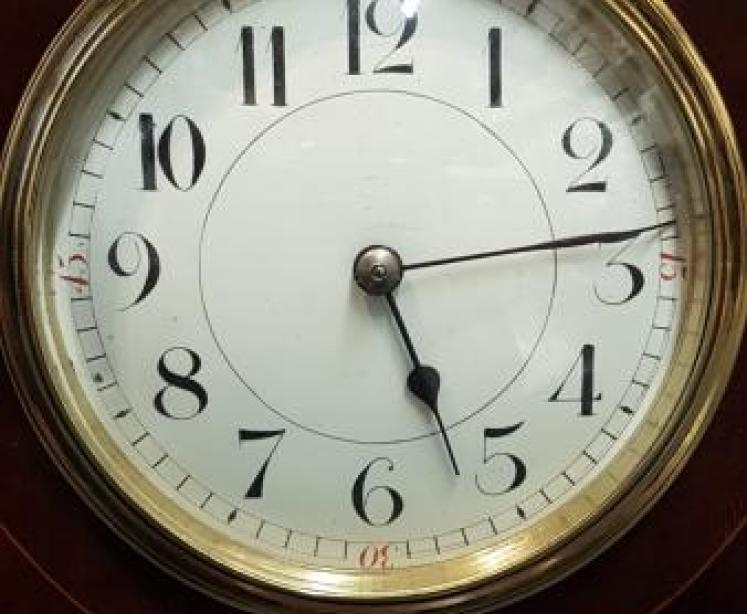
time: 5:13
